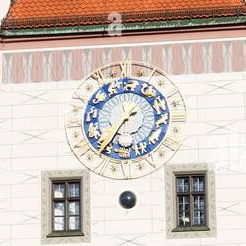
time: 1:35
